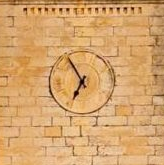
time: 6:54
